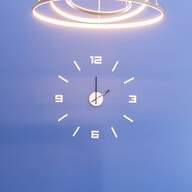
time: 2:00
